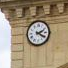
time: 2:20
